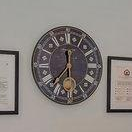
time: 11:37
